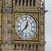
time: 12:37
